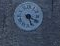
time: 5:18
